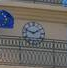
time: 1:48
